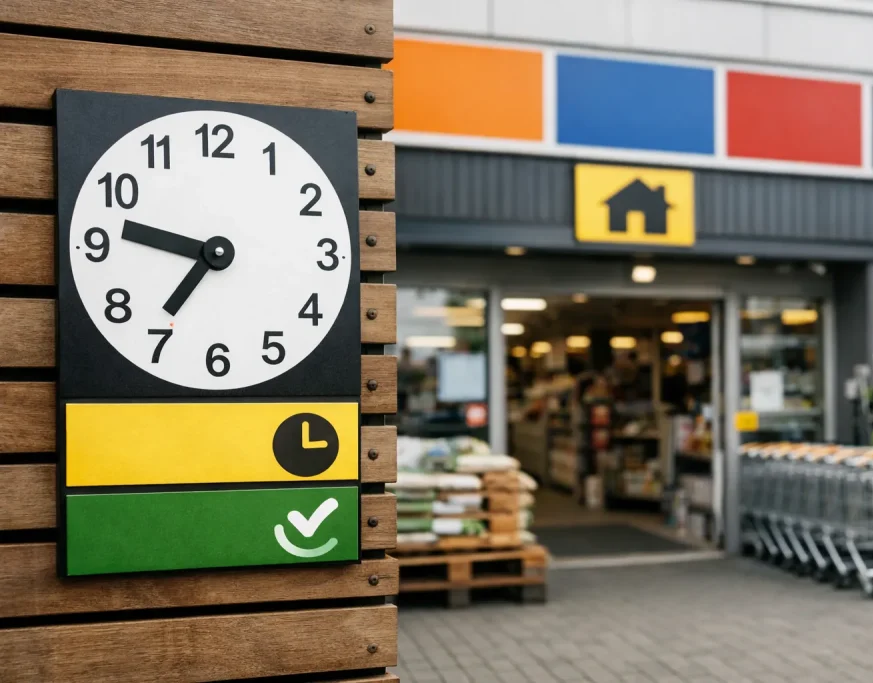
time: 9:36
